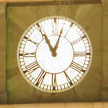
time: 11:02
